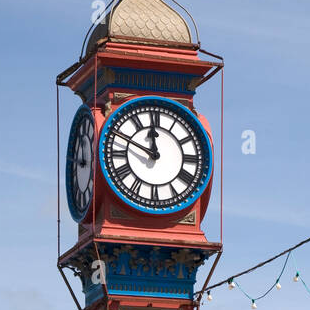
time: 11:48
